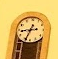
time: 8:33
